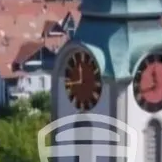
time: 11:43
